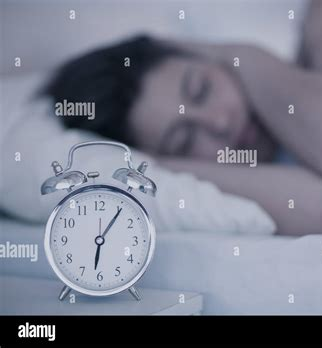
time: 6:05
